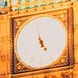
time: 4:57
